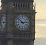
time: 2:52
